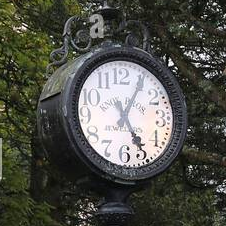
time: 5:05
